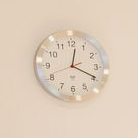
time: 12:19
